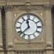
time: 11:37
